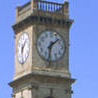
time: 1:32
